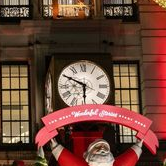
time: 5:49
